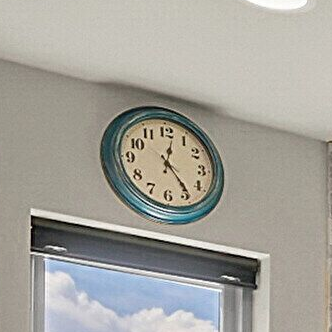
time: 12:23
